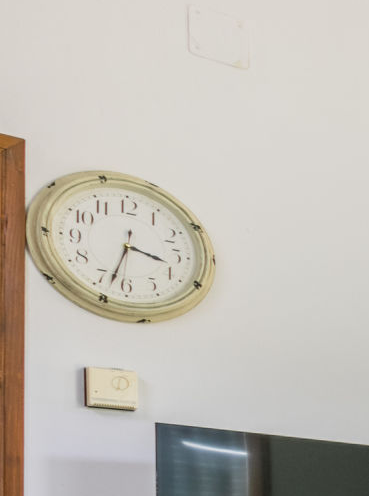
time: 3:33
